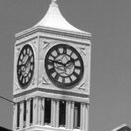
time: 1:46
